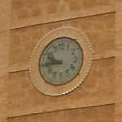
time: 9:44
